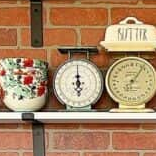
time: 5:59
